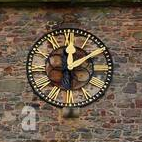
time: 12:09
